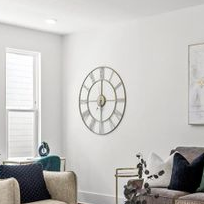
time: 5:59
